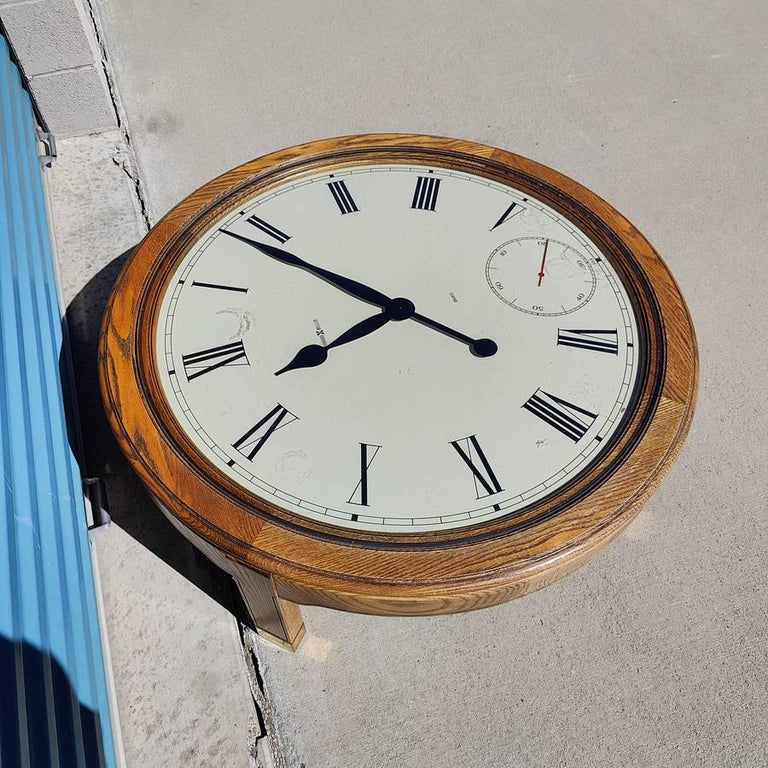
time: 7:48
